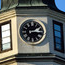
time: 1:14
